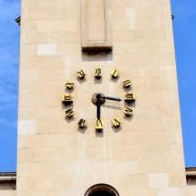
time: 6:16
